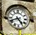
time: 4:41
